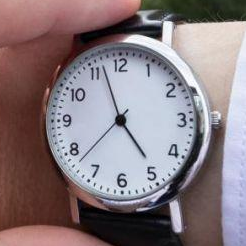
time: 4:56
